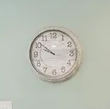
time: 9:51
